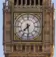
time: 7:28
